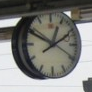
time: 12:49
